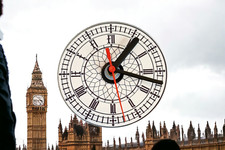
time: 1:17
